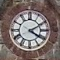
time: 4:10
